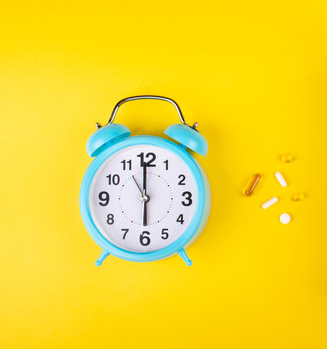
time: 5:59
